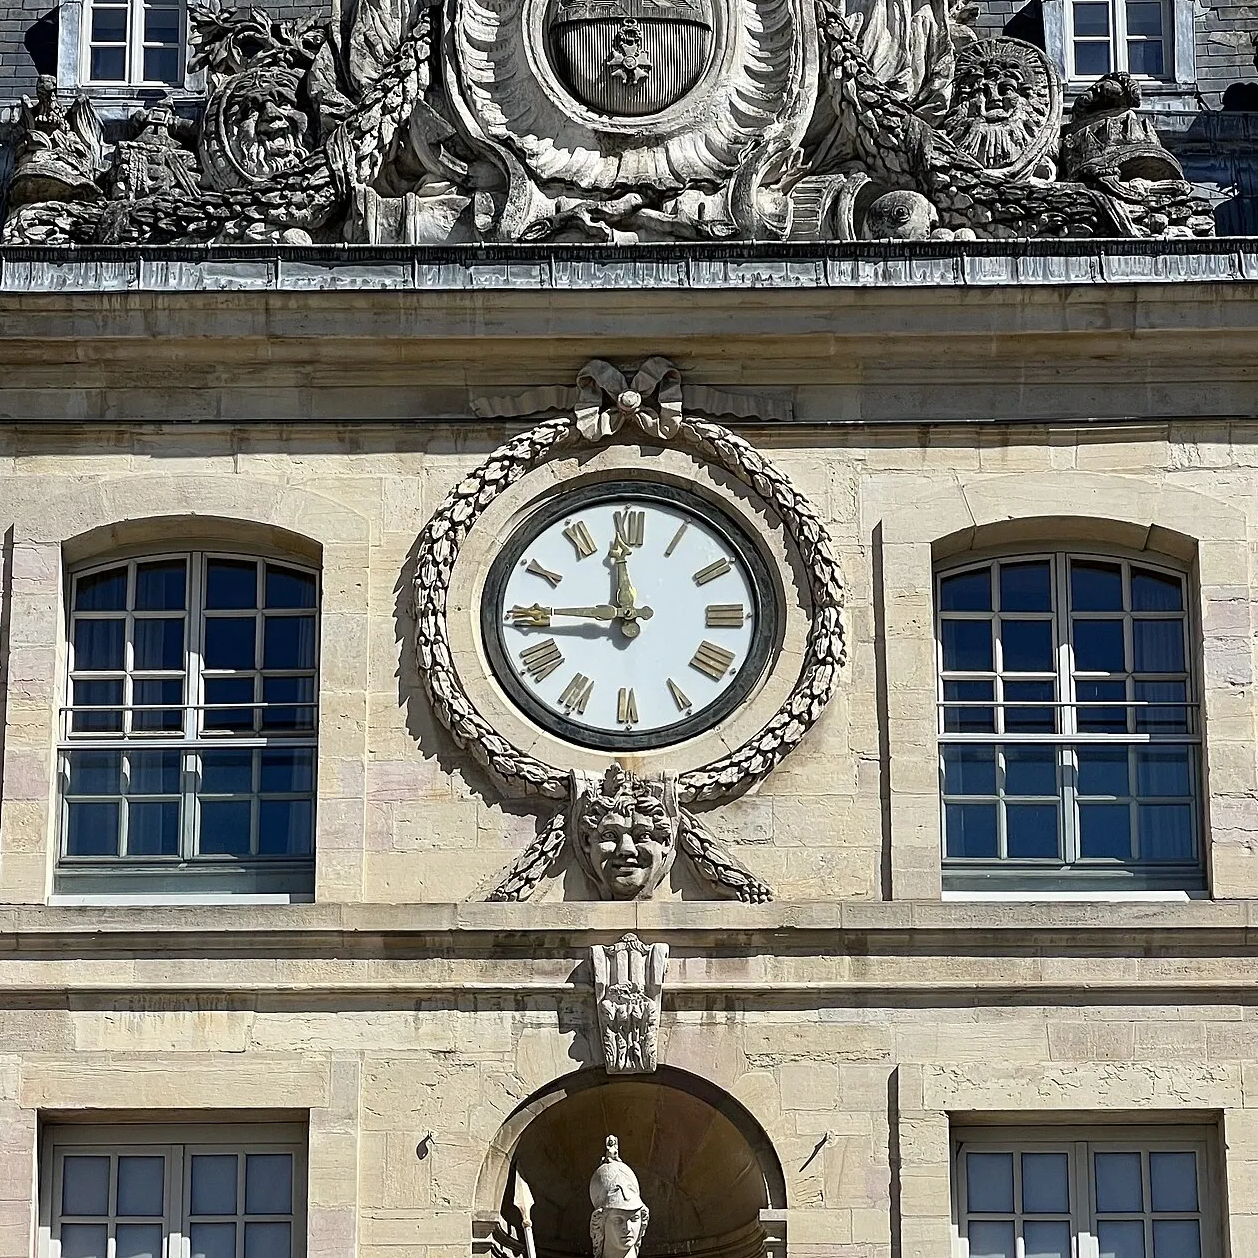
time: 11:44
